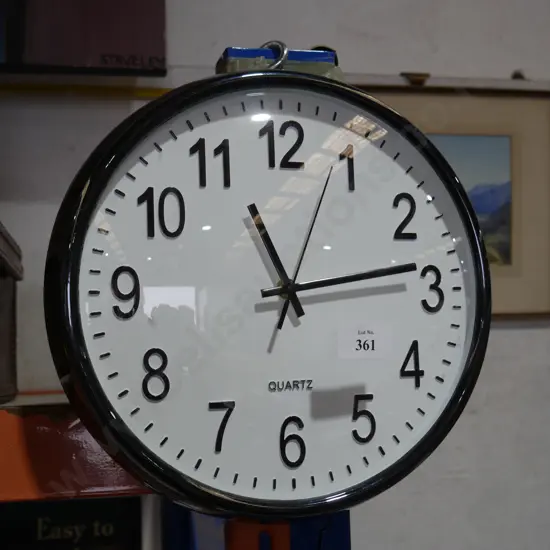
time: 11:13
